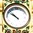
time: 9:51
